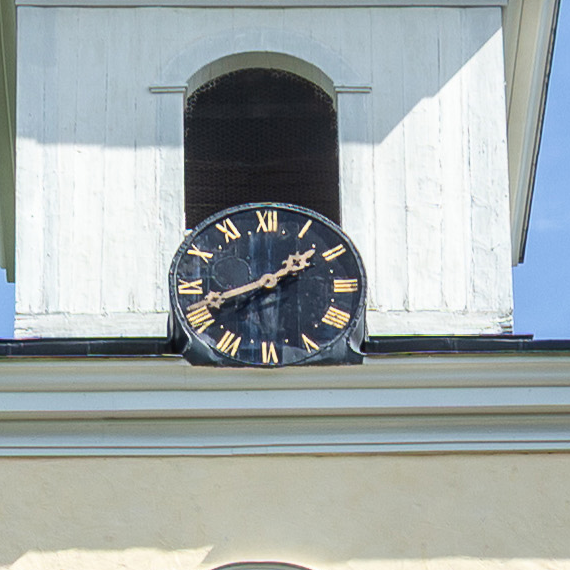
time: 1:41
